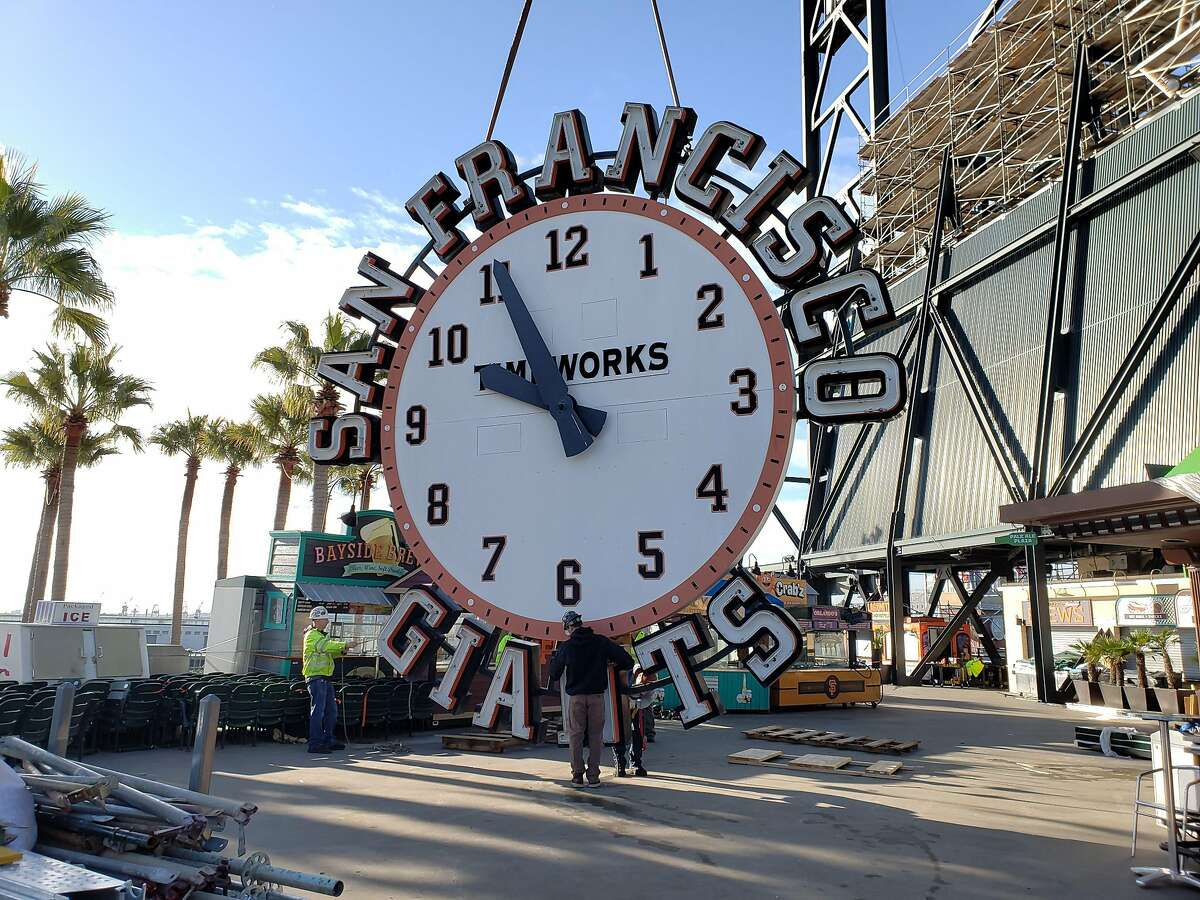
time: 9:55
